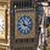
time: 11:17
